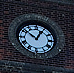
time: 12:51
